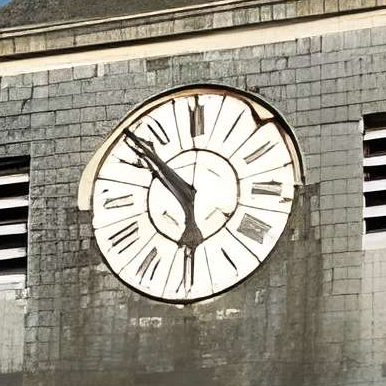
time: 5:51
